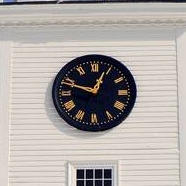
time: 12:48
